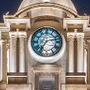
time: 7:12
